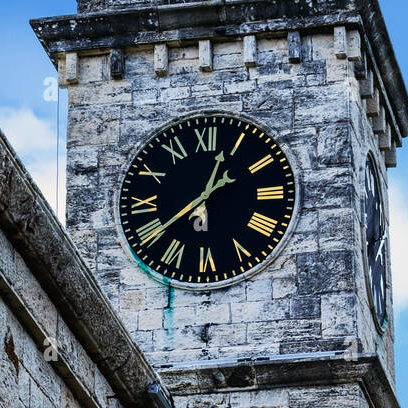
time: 12:39
